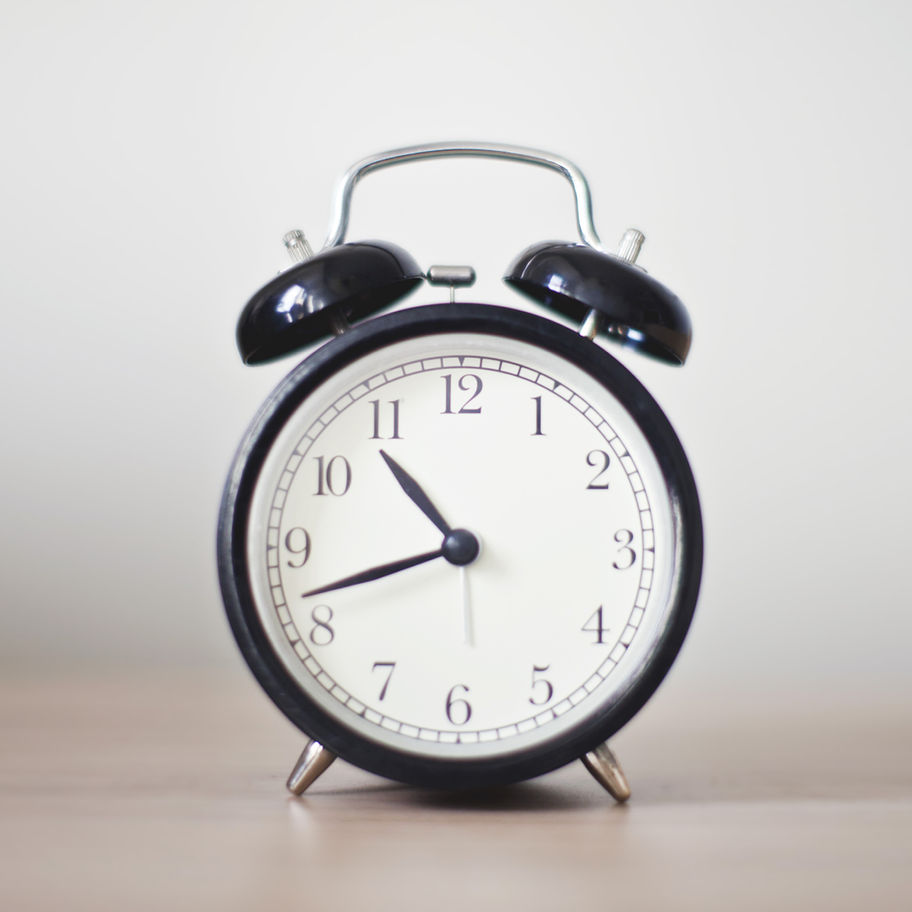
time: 10:42
